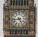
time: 4:43
